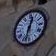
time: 12:32
